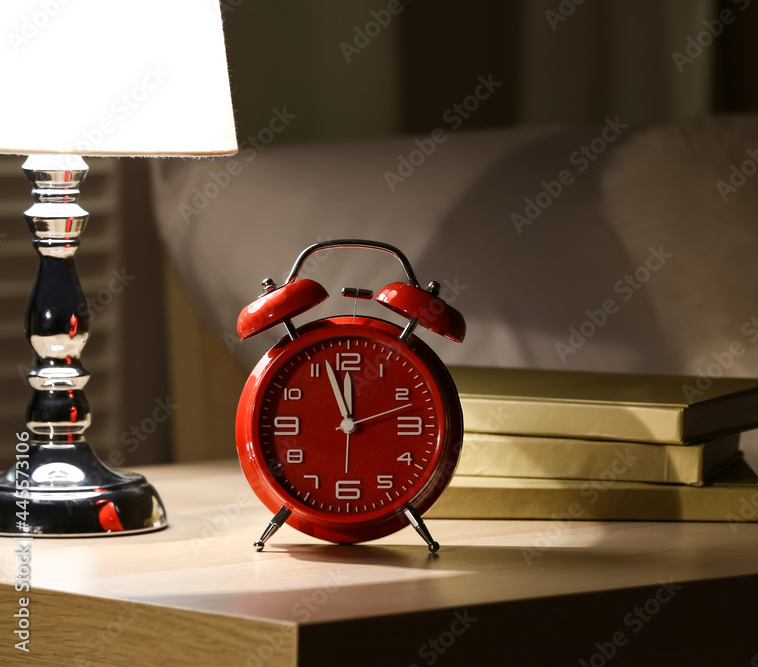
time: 11:57
